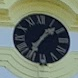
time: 1:35
